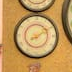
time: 8:09
